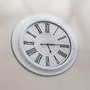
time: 5:14
